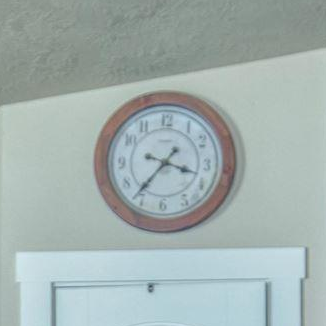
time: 3:36
